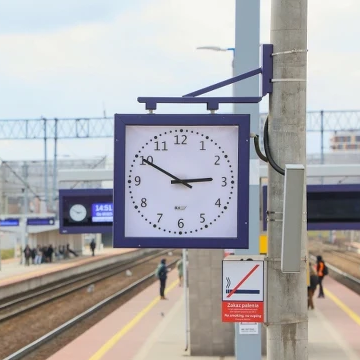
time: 2:49
